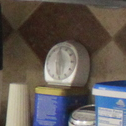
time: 11:31
